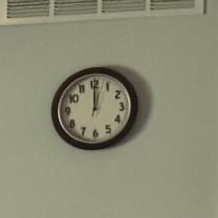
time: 12:00
